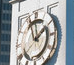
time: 1:56
